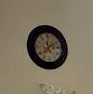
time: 11:37
